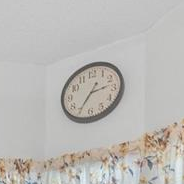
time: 2:35
